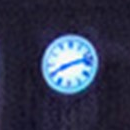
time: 8:12
